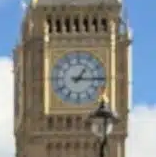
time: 1:15
